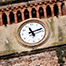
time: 11:12
